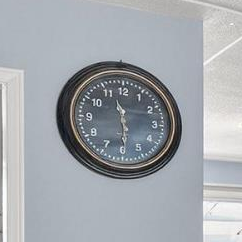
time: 11:29
